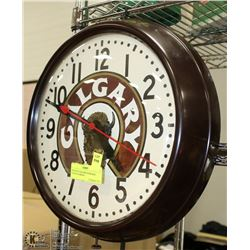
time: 4:48
